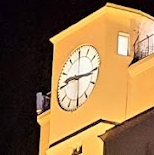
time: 9:16
